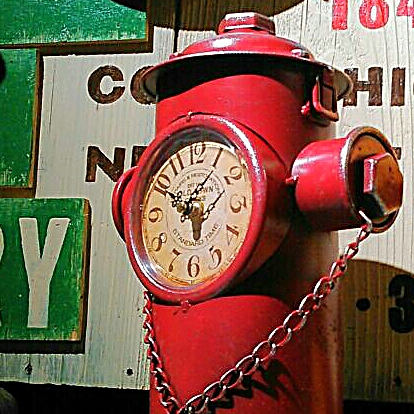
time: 5:50
